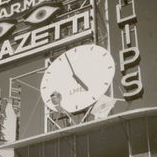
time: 4:57
